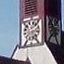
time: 2:24
